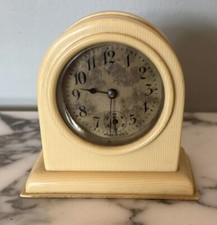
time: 9:31
